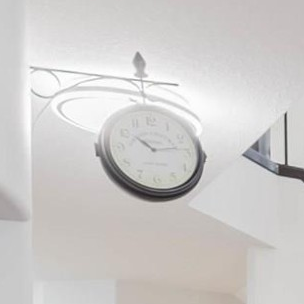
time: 10:13
